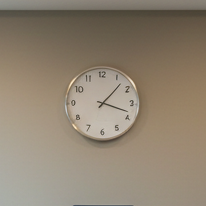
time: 1:18
